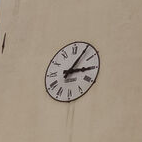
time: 3:05
